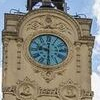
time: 9:30
